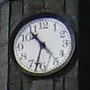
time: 10:32
